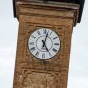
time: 5:02
